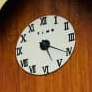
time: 5:20
